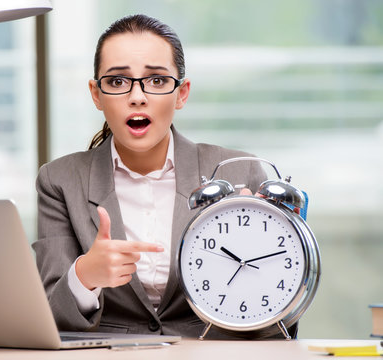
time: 10:12
